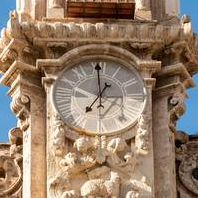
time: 12:59
